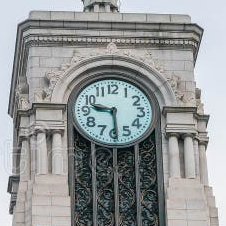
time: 9:29
